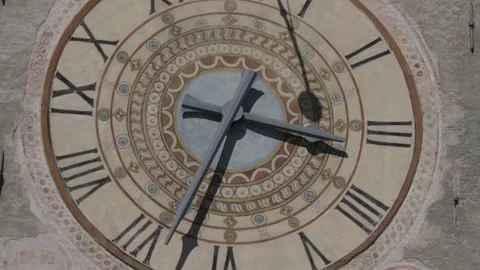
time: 3:33
